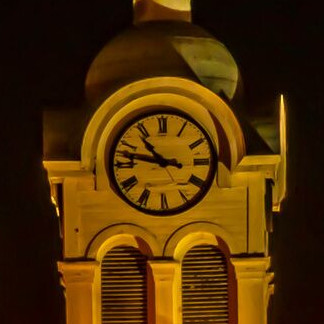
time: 10:47
